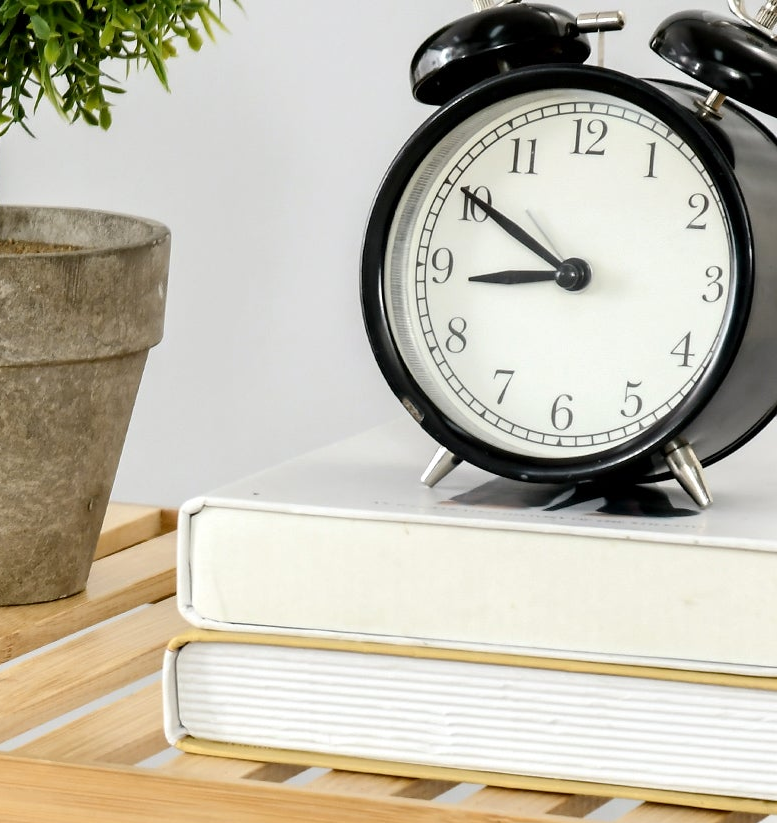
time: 8:50
